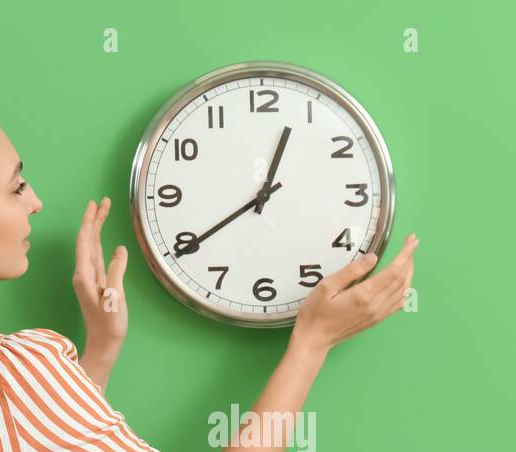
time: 12:39
